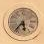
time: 5:36
